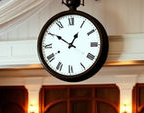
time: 12:50
